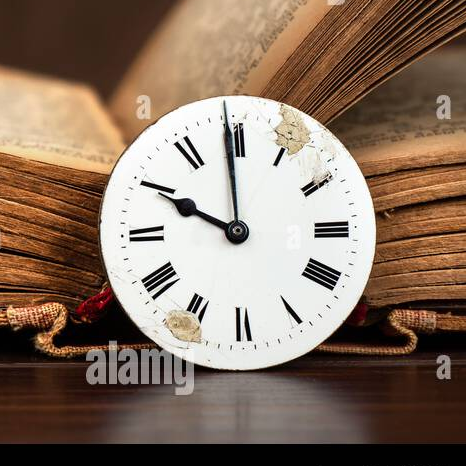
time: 9:59
